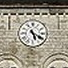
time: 5:19
